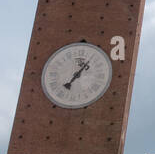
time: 7:06
